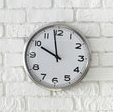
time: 9:58
